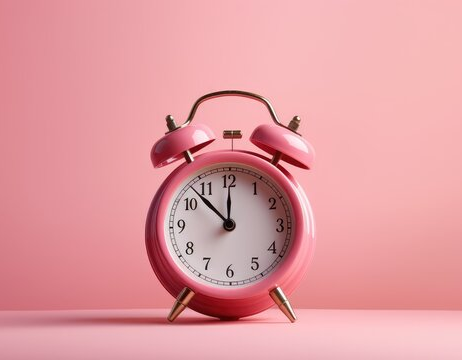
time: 11:52
